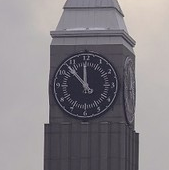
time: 11:52
